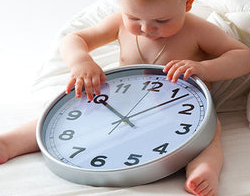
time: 10:07
